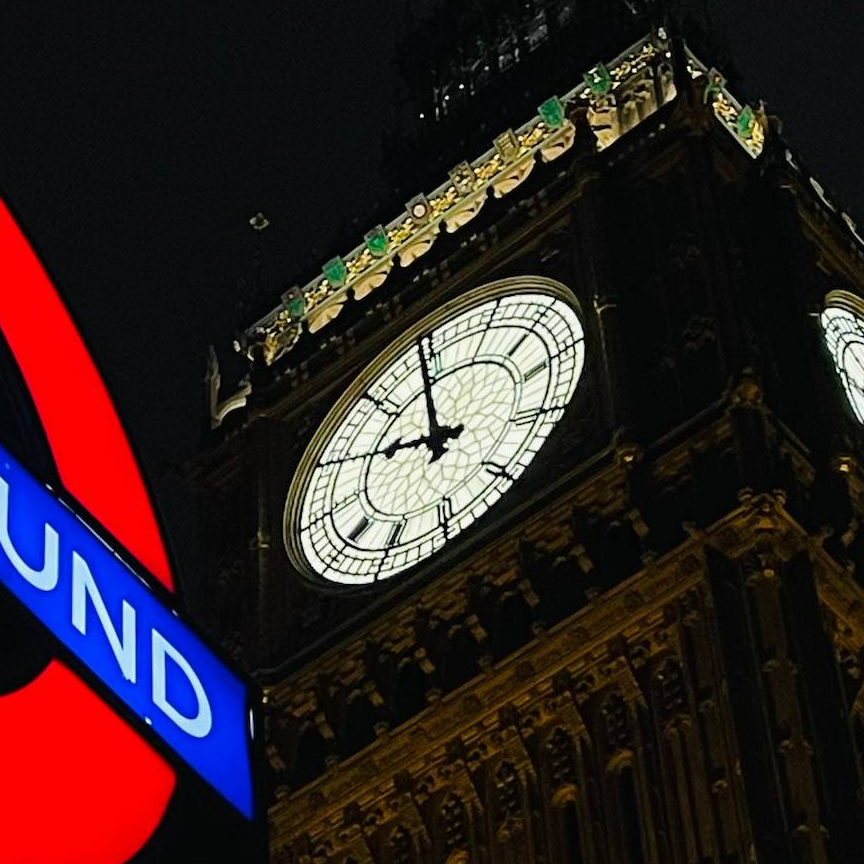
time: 8:54
